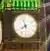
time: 7:57
